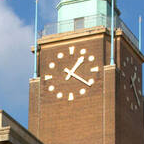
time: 1:21
